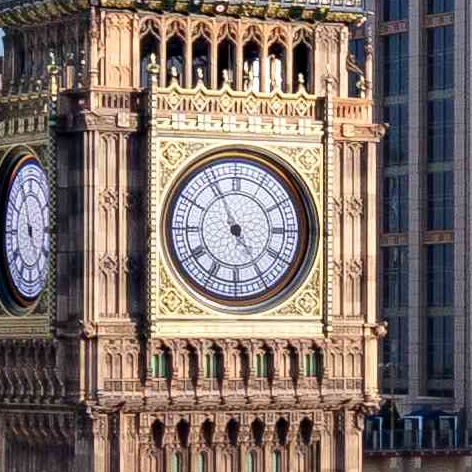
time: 4:55
